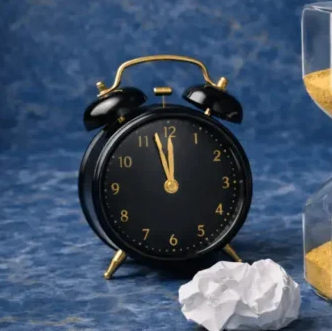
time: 11:57
